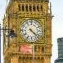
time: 4:22
